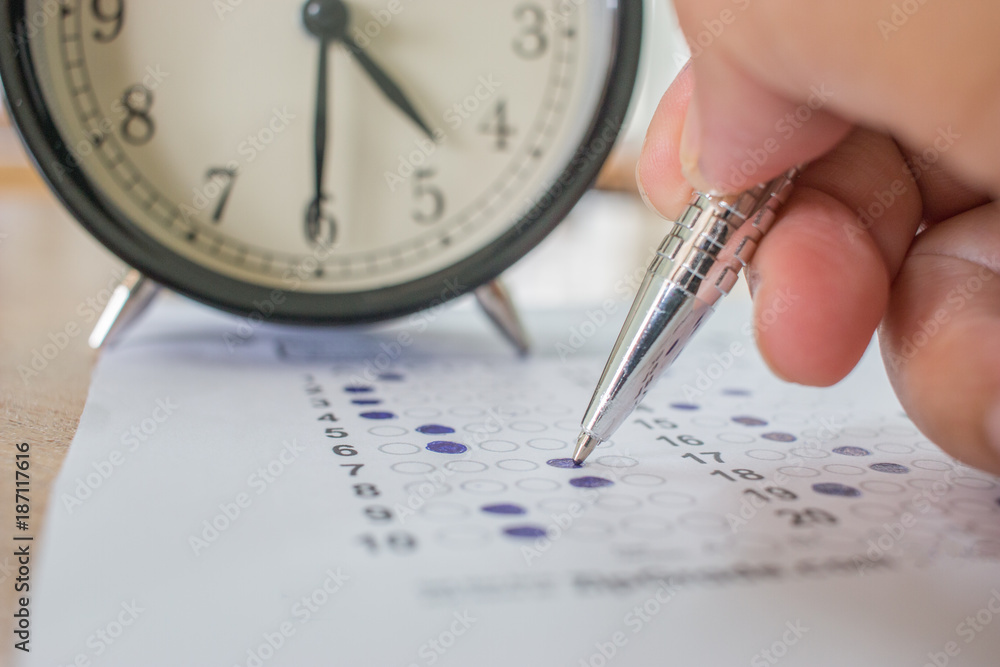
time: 4:30
